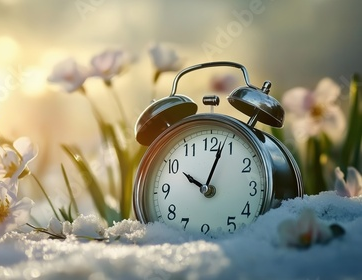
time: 10:03
